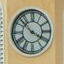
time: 3:52
